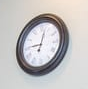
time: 9:02
